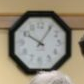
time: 10:05
